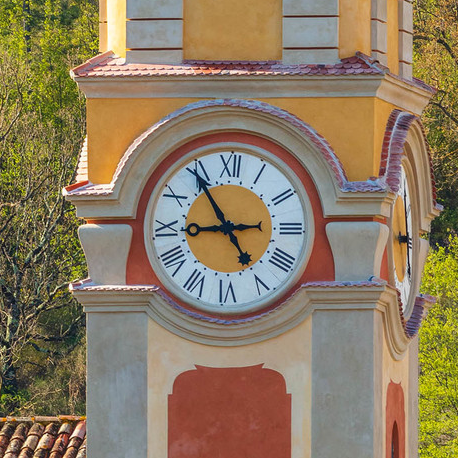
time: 8:54
